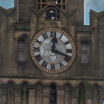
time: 12:18
